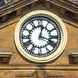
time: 12:18
